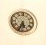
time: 5:33
